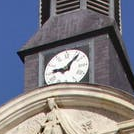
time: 9:07
